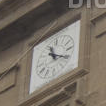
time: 11:20
